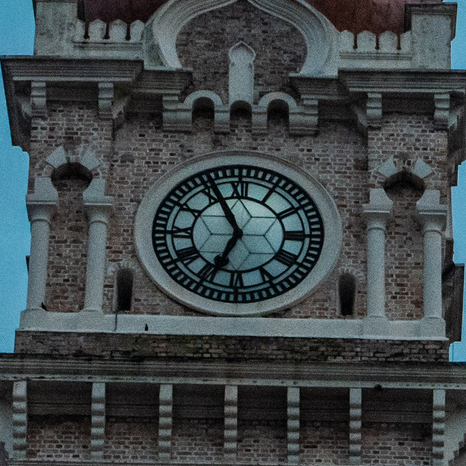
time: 6:55
